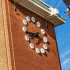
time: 7:43
